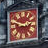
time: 2:48
